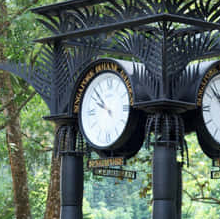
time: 9:52
